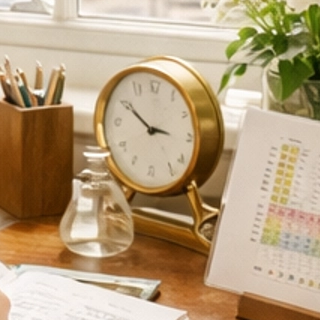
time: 2:50
